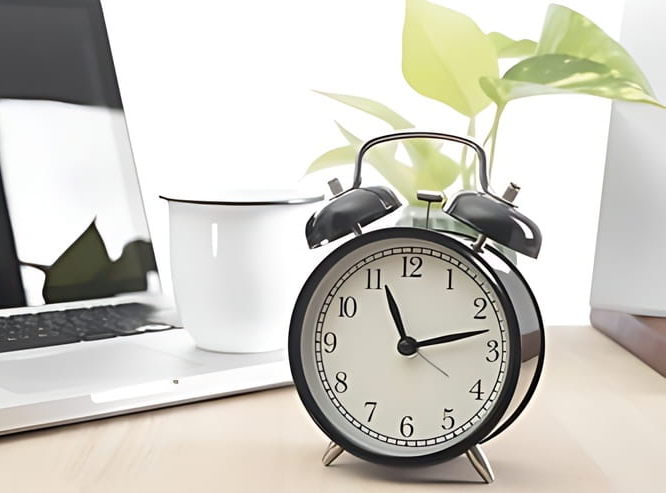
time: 11:12
